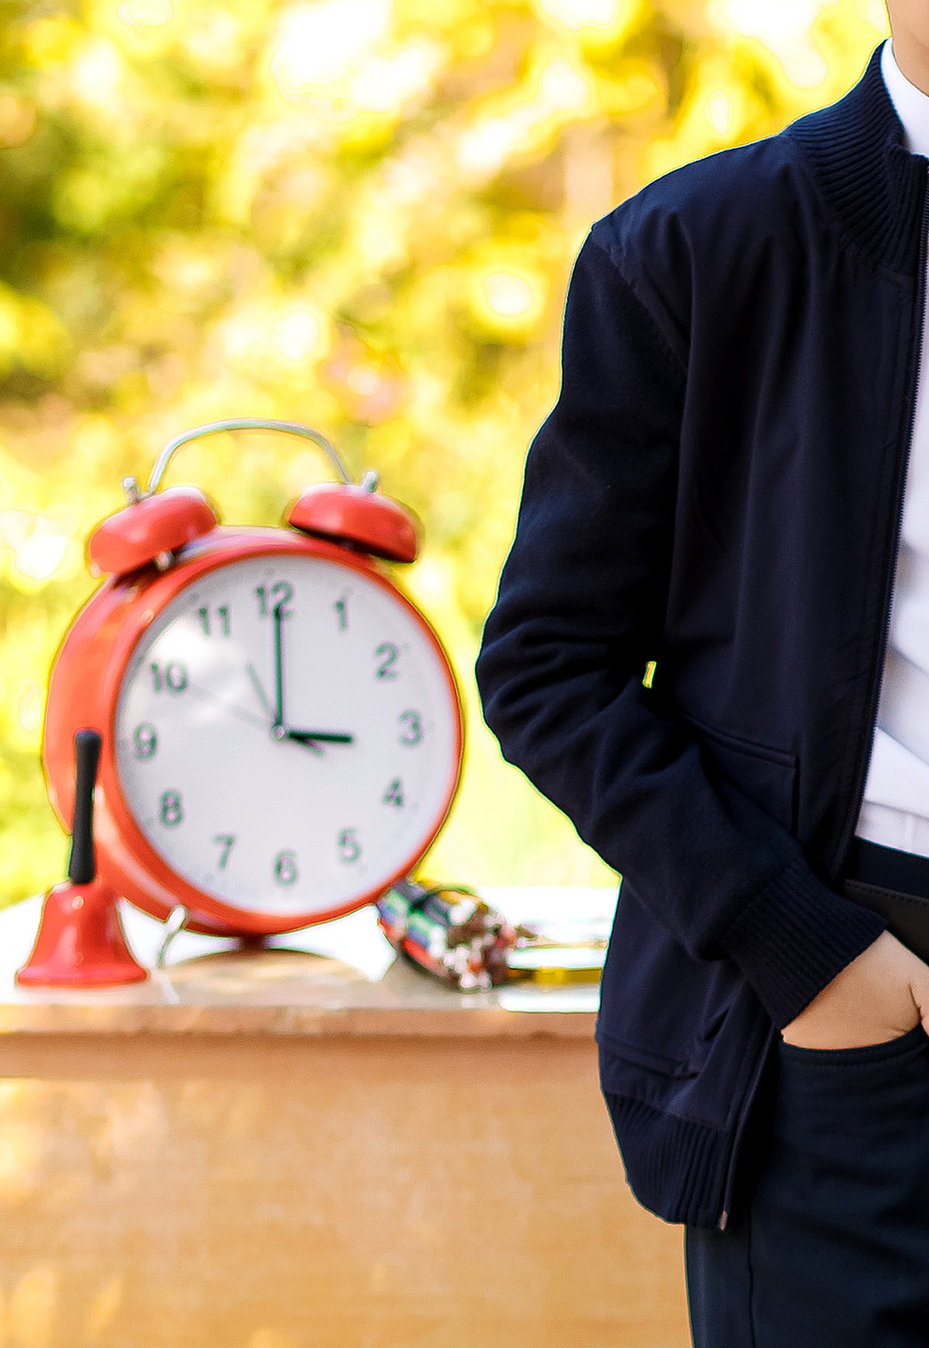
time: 3:00
